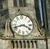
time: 3:42
